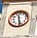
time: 11:28
